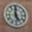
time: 5:00
